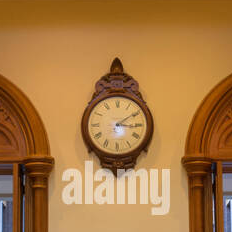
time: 3:09
